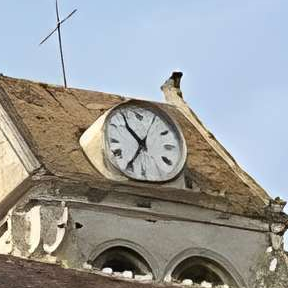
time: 10:35
